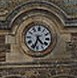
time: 4:33
